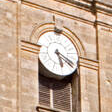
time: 5:18
